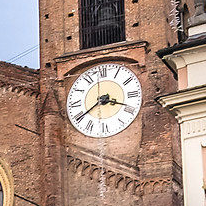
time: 3:39
